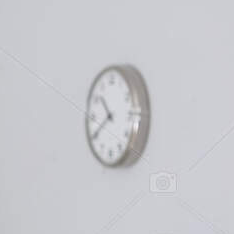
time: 10:39
